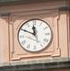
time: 11:49
